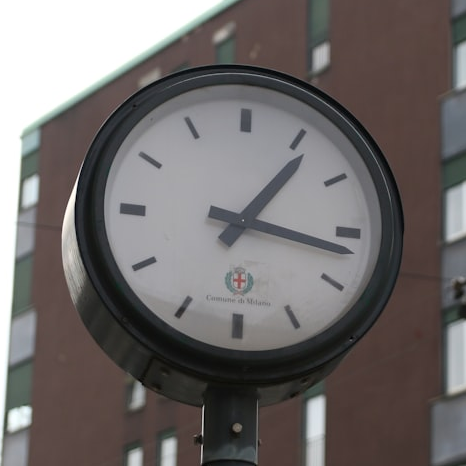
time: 1:16
